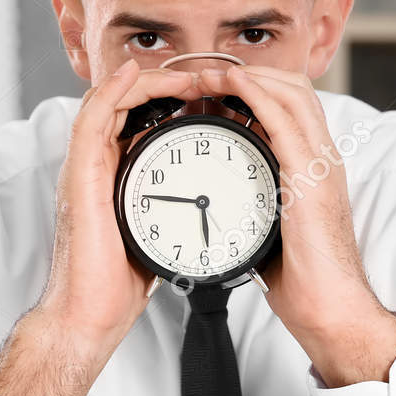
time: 5:46
